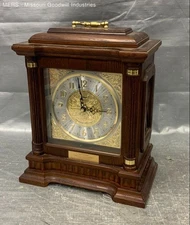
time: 2:58
